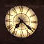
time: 7:21
